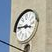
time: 3:46
